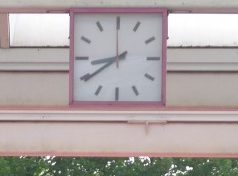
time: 8:39
